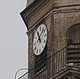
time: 11:07
